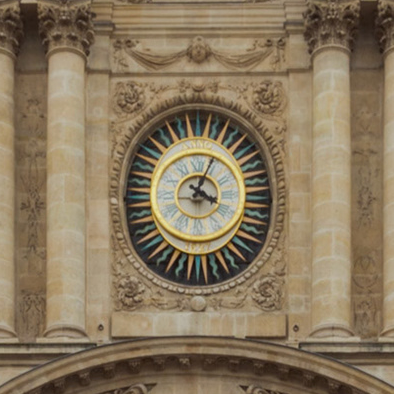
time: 4:04
